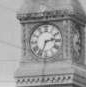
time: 2:33
